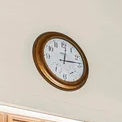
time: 12:13
